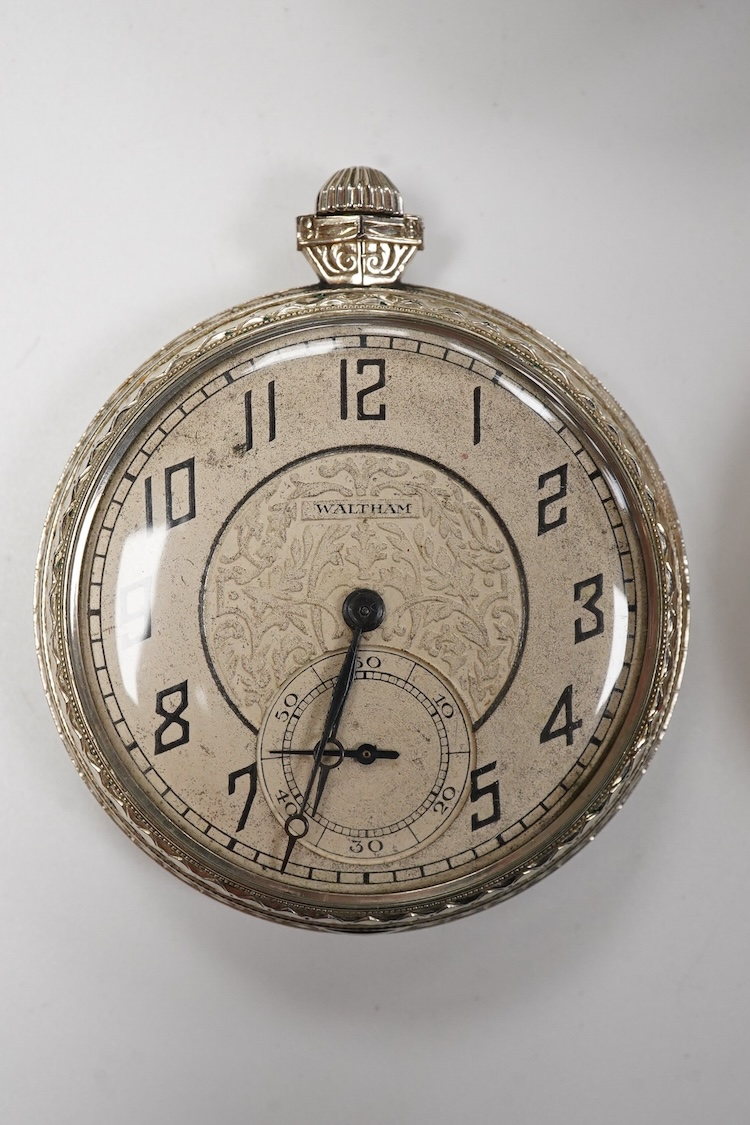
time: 6:32
